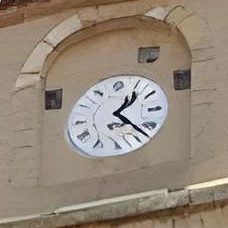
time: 1:22
